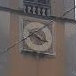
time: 3:40
